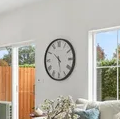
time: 10:28
